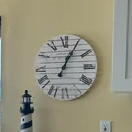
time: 1:04
